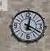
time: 12:19
